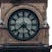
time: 4:38
